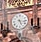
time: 5:16
